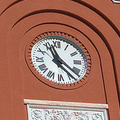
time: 11:21
